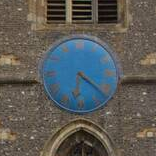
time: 6:21
